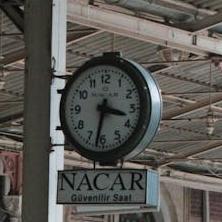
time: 3:32
